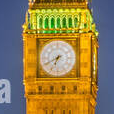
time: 6:40
